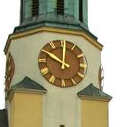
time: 10:00
